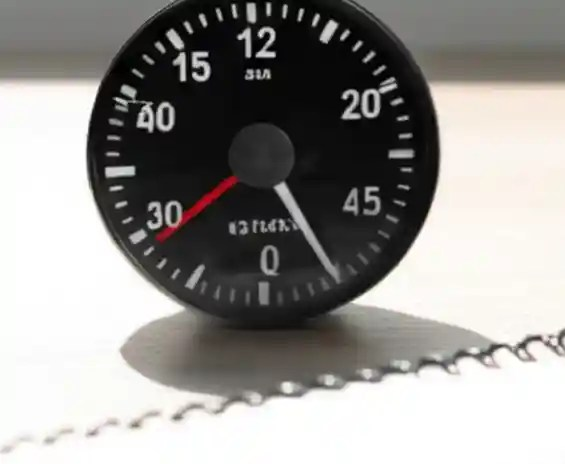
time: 3:25
